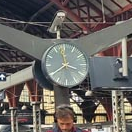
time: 3:39
